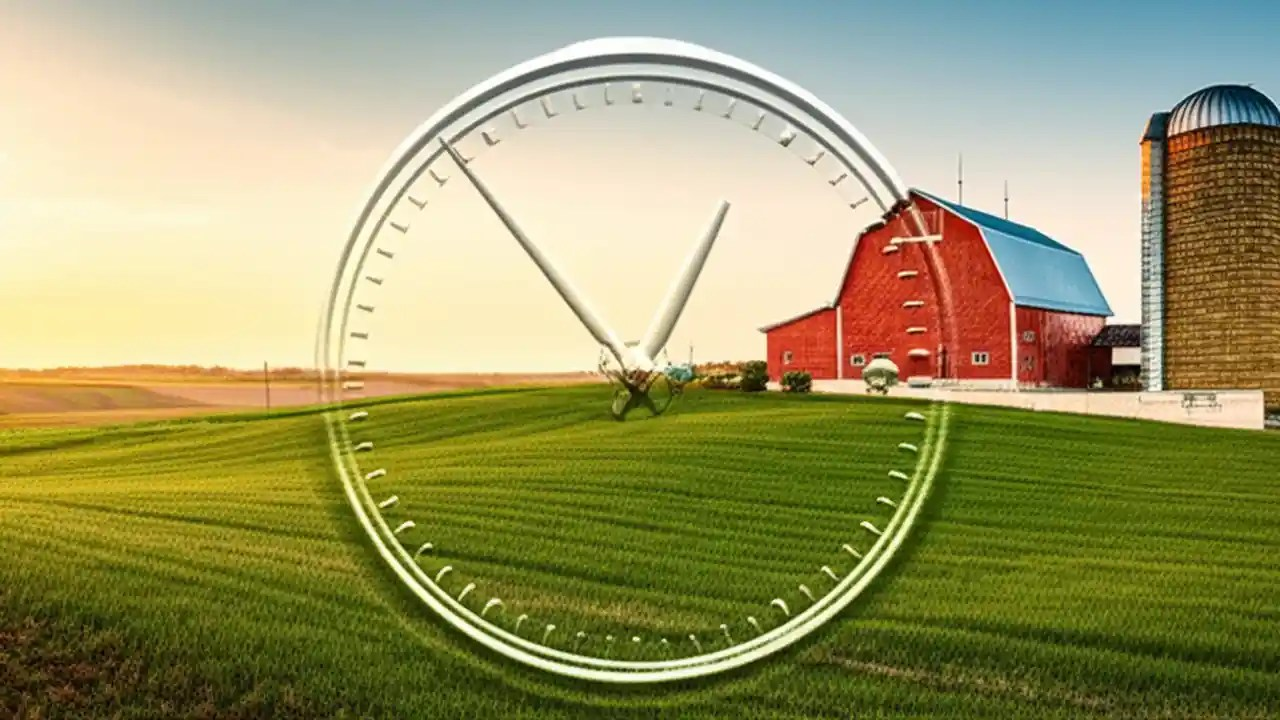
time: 12:53
